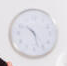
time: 10:27
